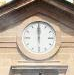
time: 12:00
